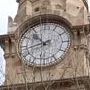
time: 10:42
